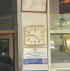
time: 9:23
